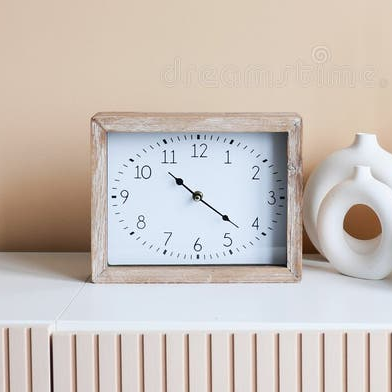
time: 10:21
